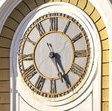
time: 5:24
